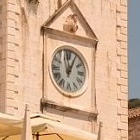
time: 12:58
